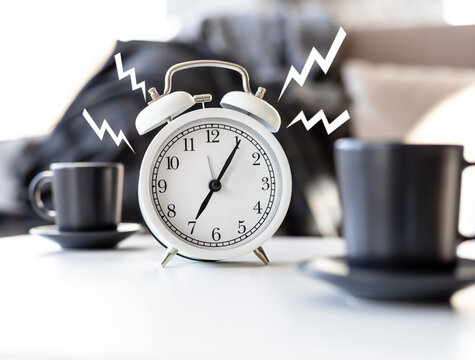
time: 7:05
